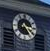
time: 3:24
